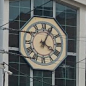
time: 4:04
